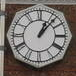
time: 1:07
